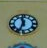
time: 11:33
